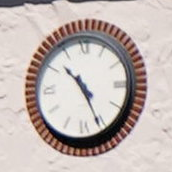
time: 10:25
